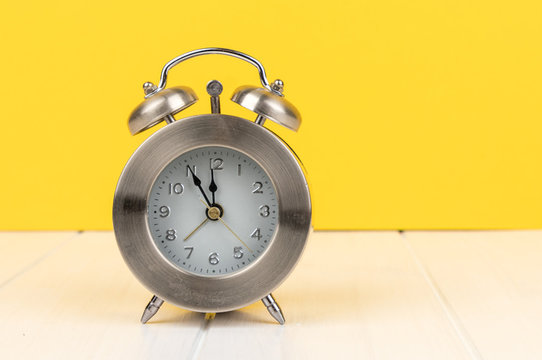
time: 11:55
